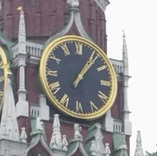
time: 1:06
